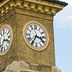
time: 3:35
